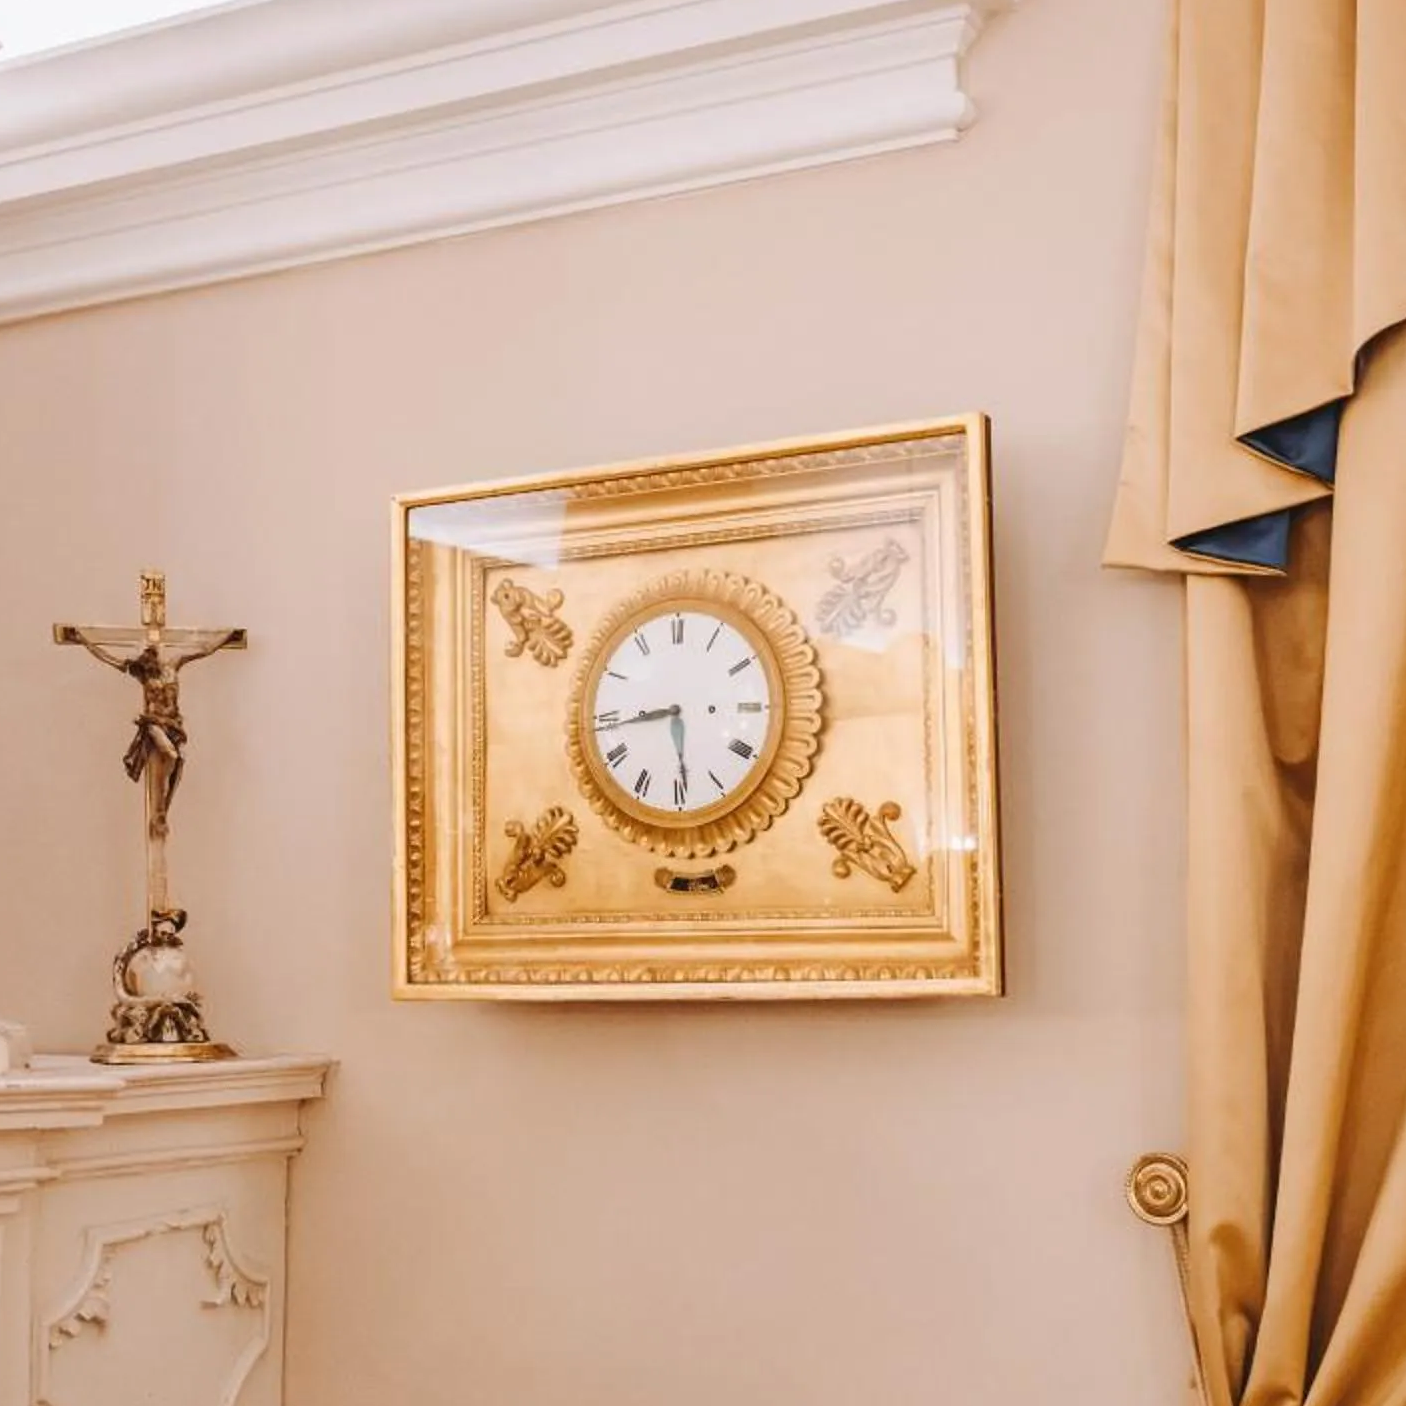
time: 5:44
